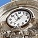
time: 11:07
